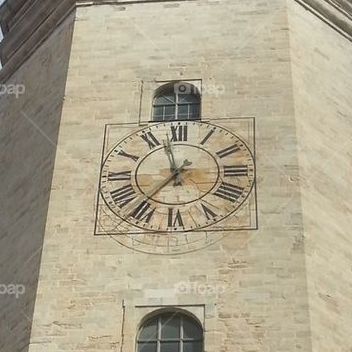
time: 11:36
